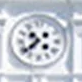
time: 10:38
